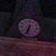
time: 6:33
